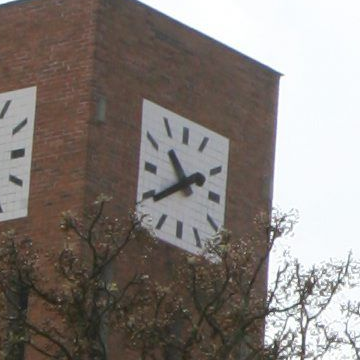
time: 10:39
